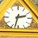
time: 2:32
